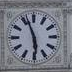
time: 5:56
